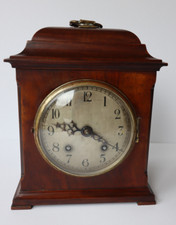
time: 9:21
